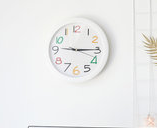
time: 9:14
